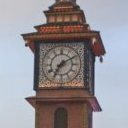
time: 7:10
